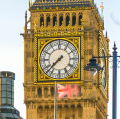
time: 7:37
